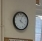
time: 4:04
